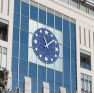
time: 11:08
